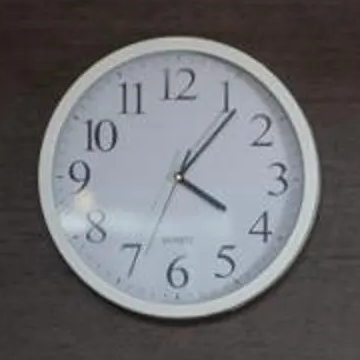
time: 4:06
